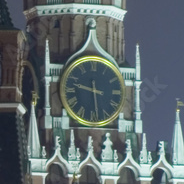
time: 9:28
